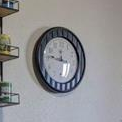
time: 11:46
